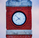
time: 7:52
